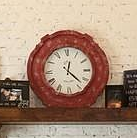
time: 12:22
